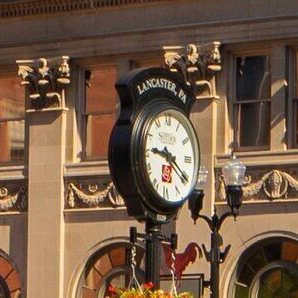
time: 9:20
